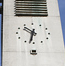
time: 10:32
